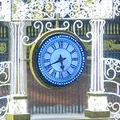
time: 5:41
